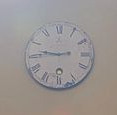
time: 2:46
